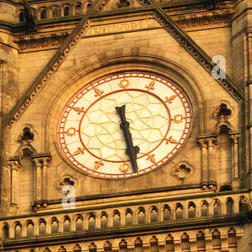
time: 5:28
